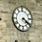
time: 4:21
